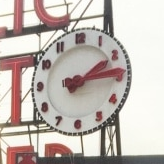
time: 2:14
